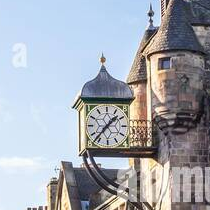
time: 1:37
